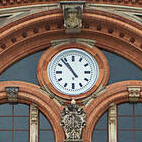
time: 10:53
